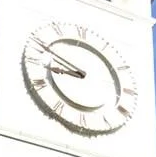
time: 8:49
